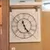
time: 11:23
